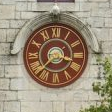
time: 3:37
